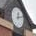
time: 12:12
